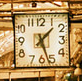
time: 1:26
